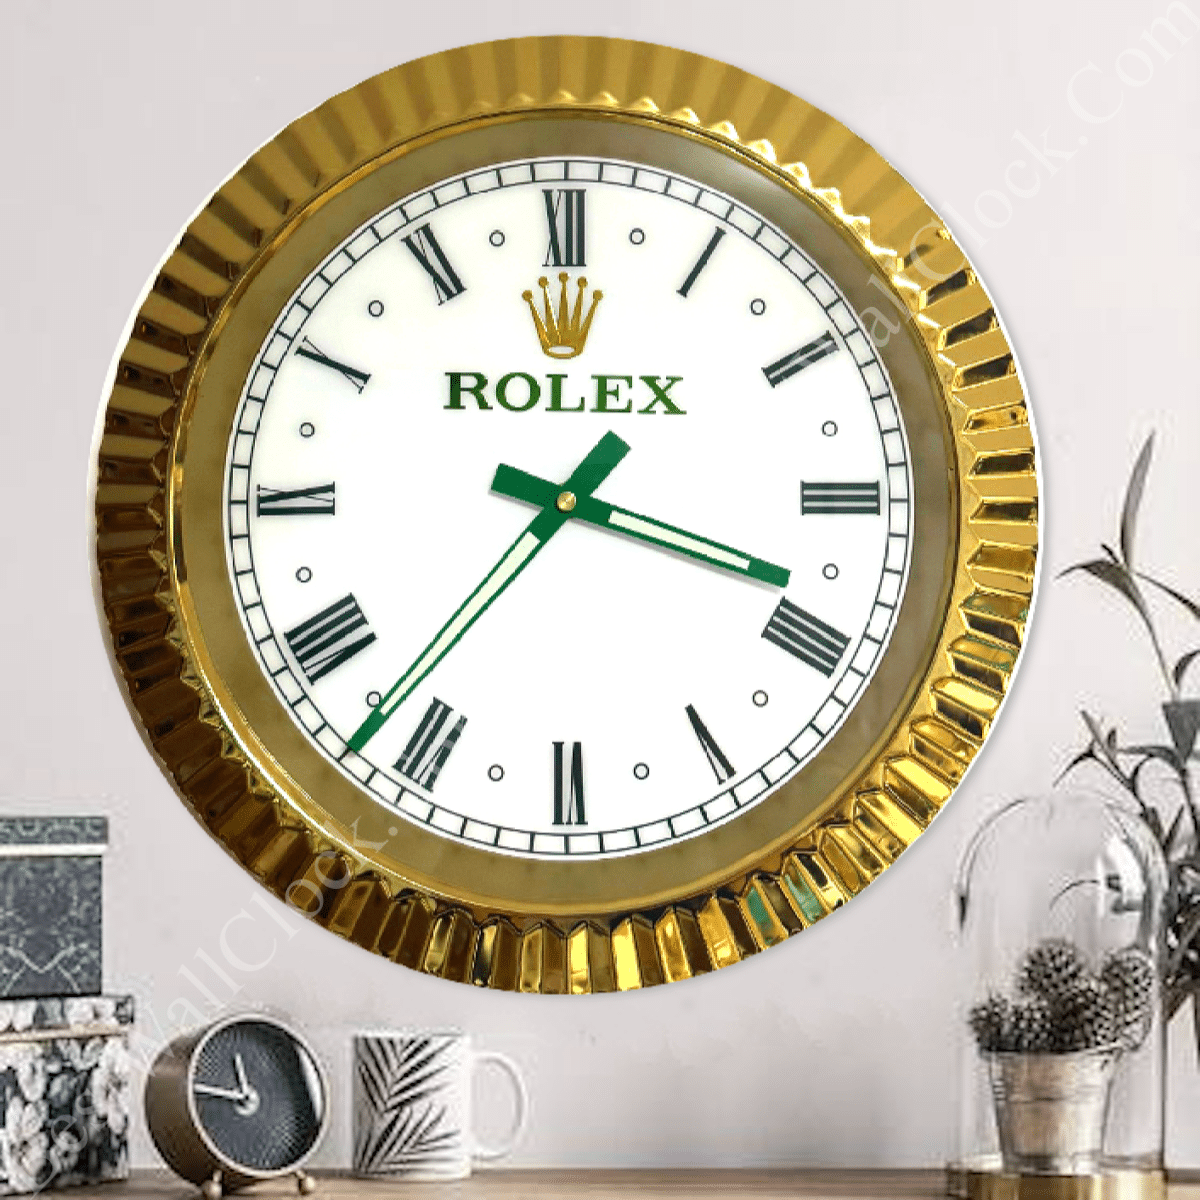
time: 3:36
